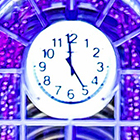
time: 4:59
